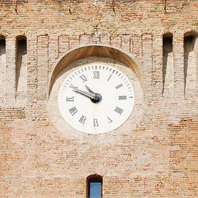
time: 10:49
